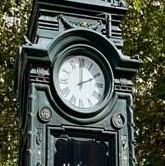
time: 2:00
